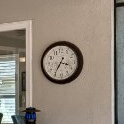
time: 3:35
